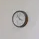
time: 3:53
